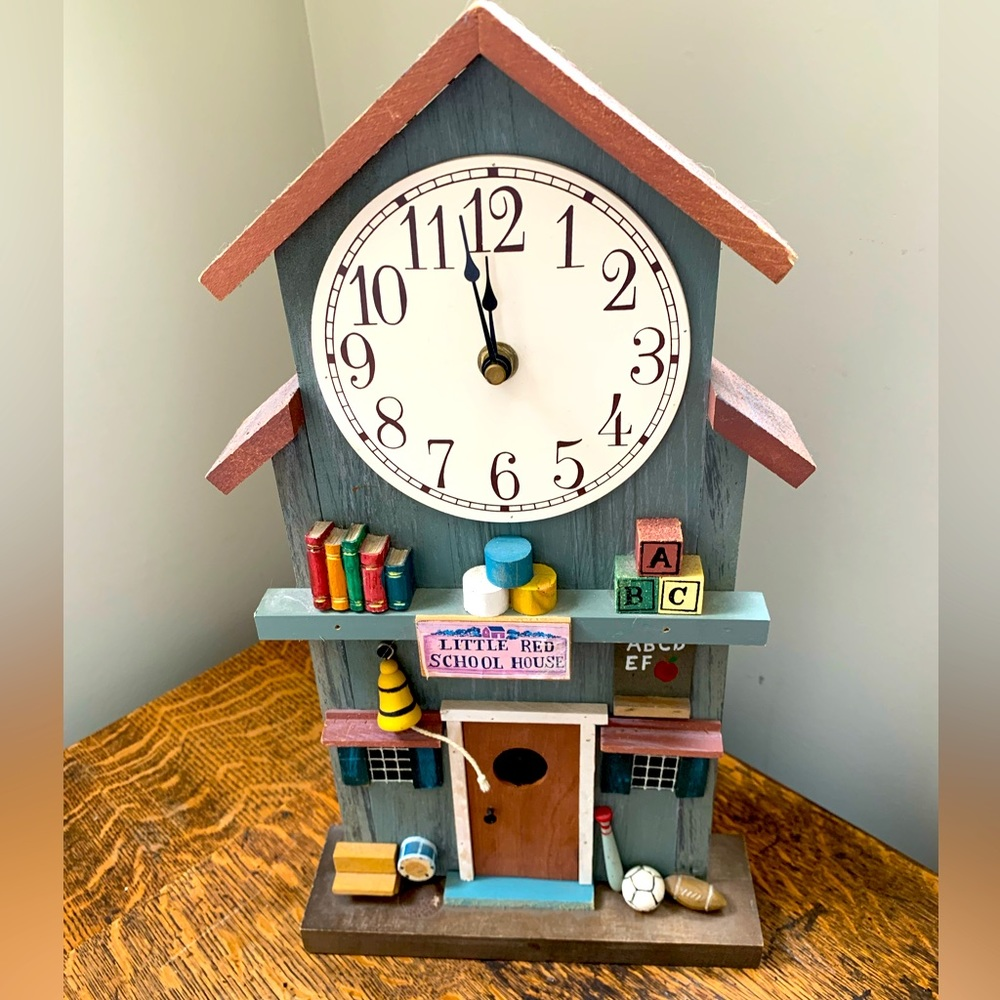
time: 11:58
